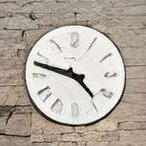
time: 4:47
